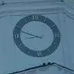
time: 8:48
